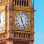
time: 11:26
